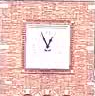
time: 12:55
